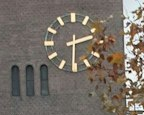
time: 2:30
